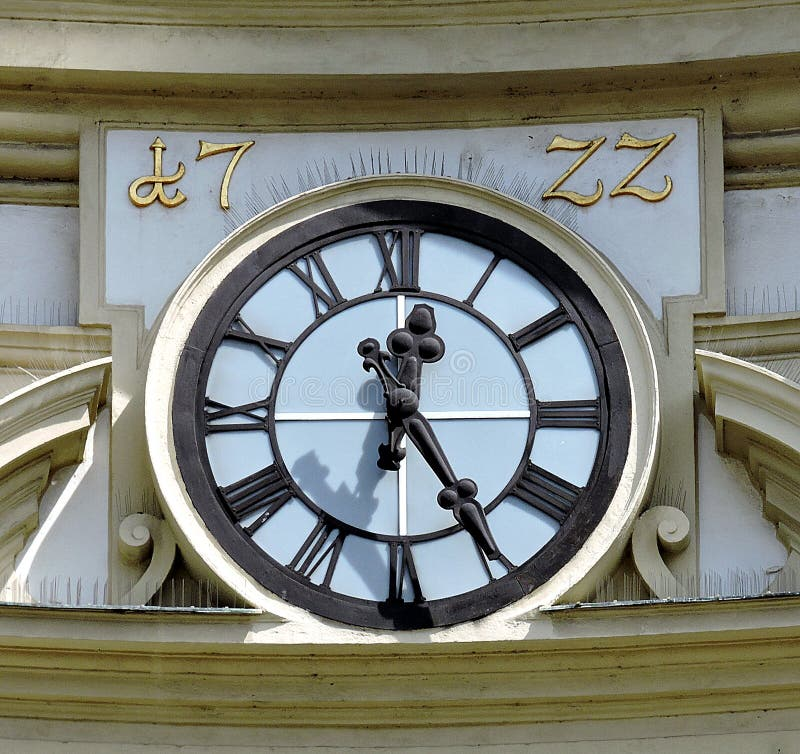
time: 12:24
